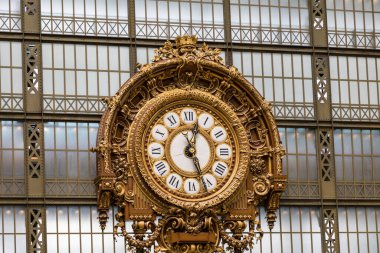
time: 12:26
